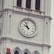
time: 9:56
